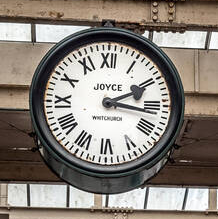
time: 2:16
